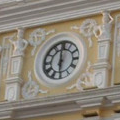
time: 5:59
